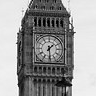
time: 1:29
